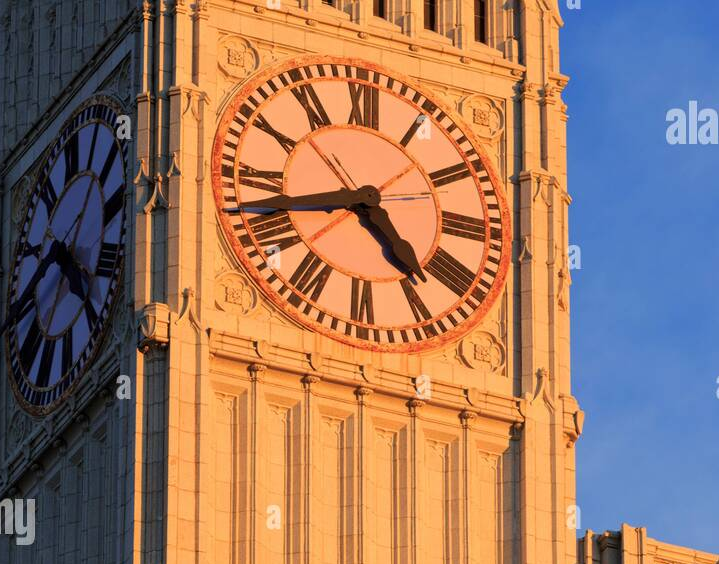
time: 4:42
